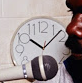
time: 10:07
